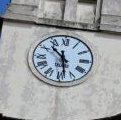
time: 10:28
